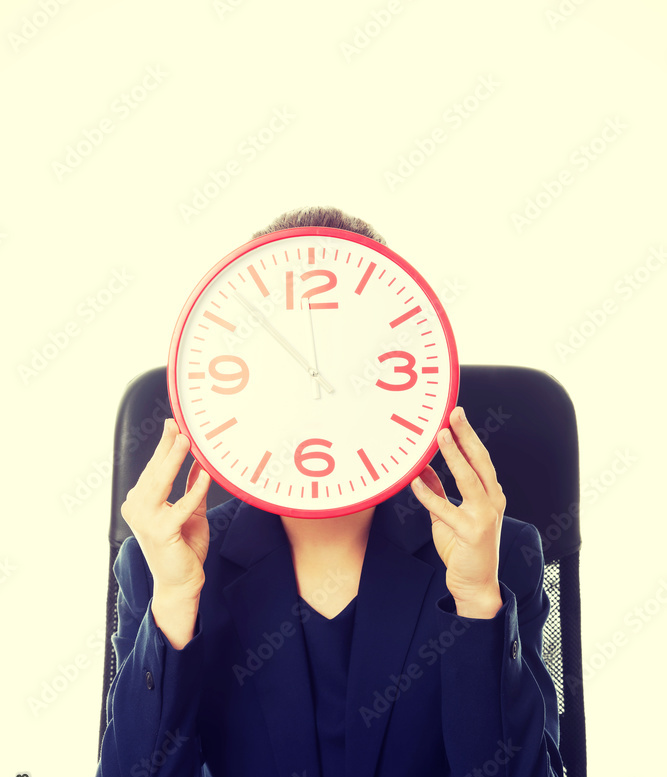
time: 11:52
